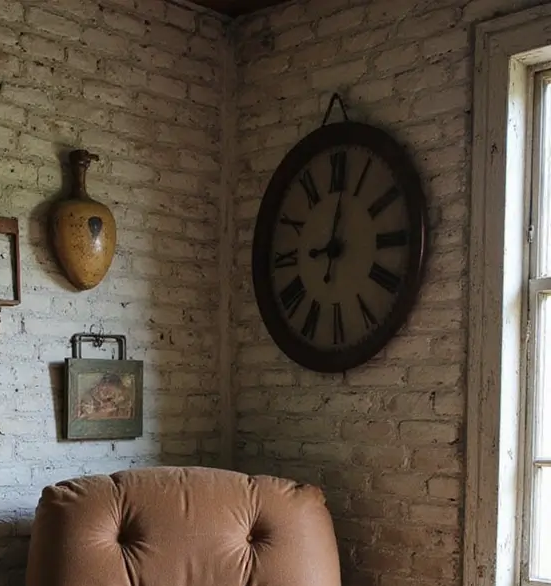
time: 9:01
